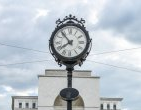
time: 7:53
